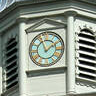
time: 1:56
